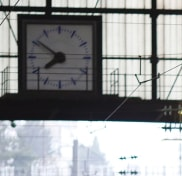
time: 7:50
